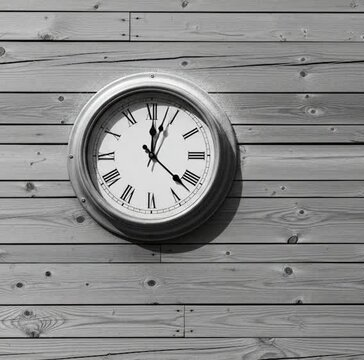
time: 12:22
